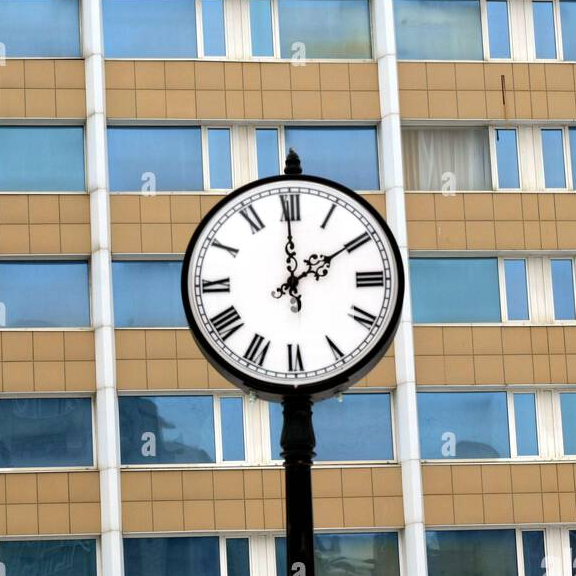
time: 1:59
